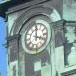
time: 4:00
